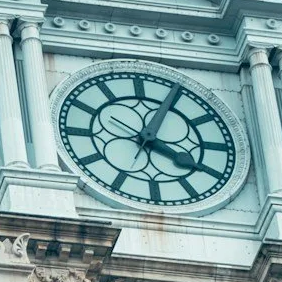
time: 4:03
